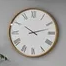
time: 10:12
